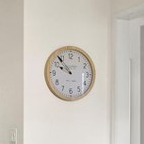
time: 9:53
